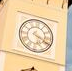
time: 5:18
